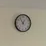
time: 12:53
